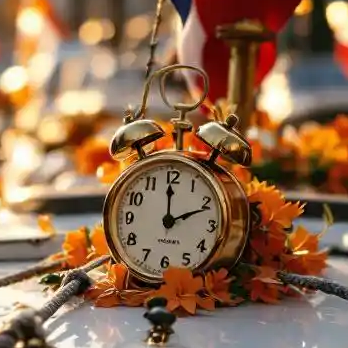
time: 1:59
